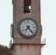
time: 7:23
